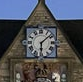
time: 6:08
